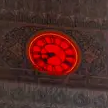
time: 7:43
